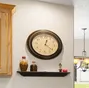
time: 12:21
